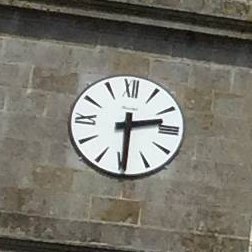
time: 2:29
